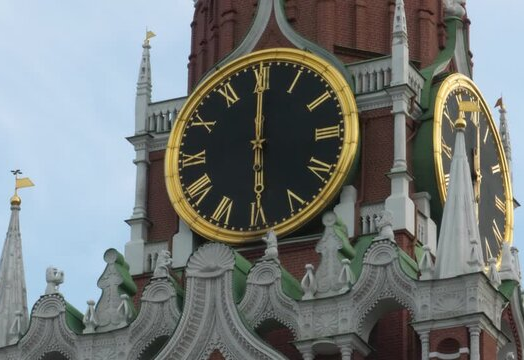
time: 5:59
